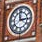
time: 2:58
